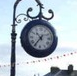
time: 10:36
